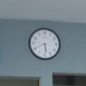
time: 5:40
